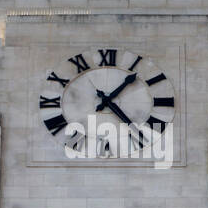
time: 1:23
